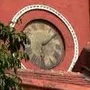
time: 6:08
